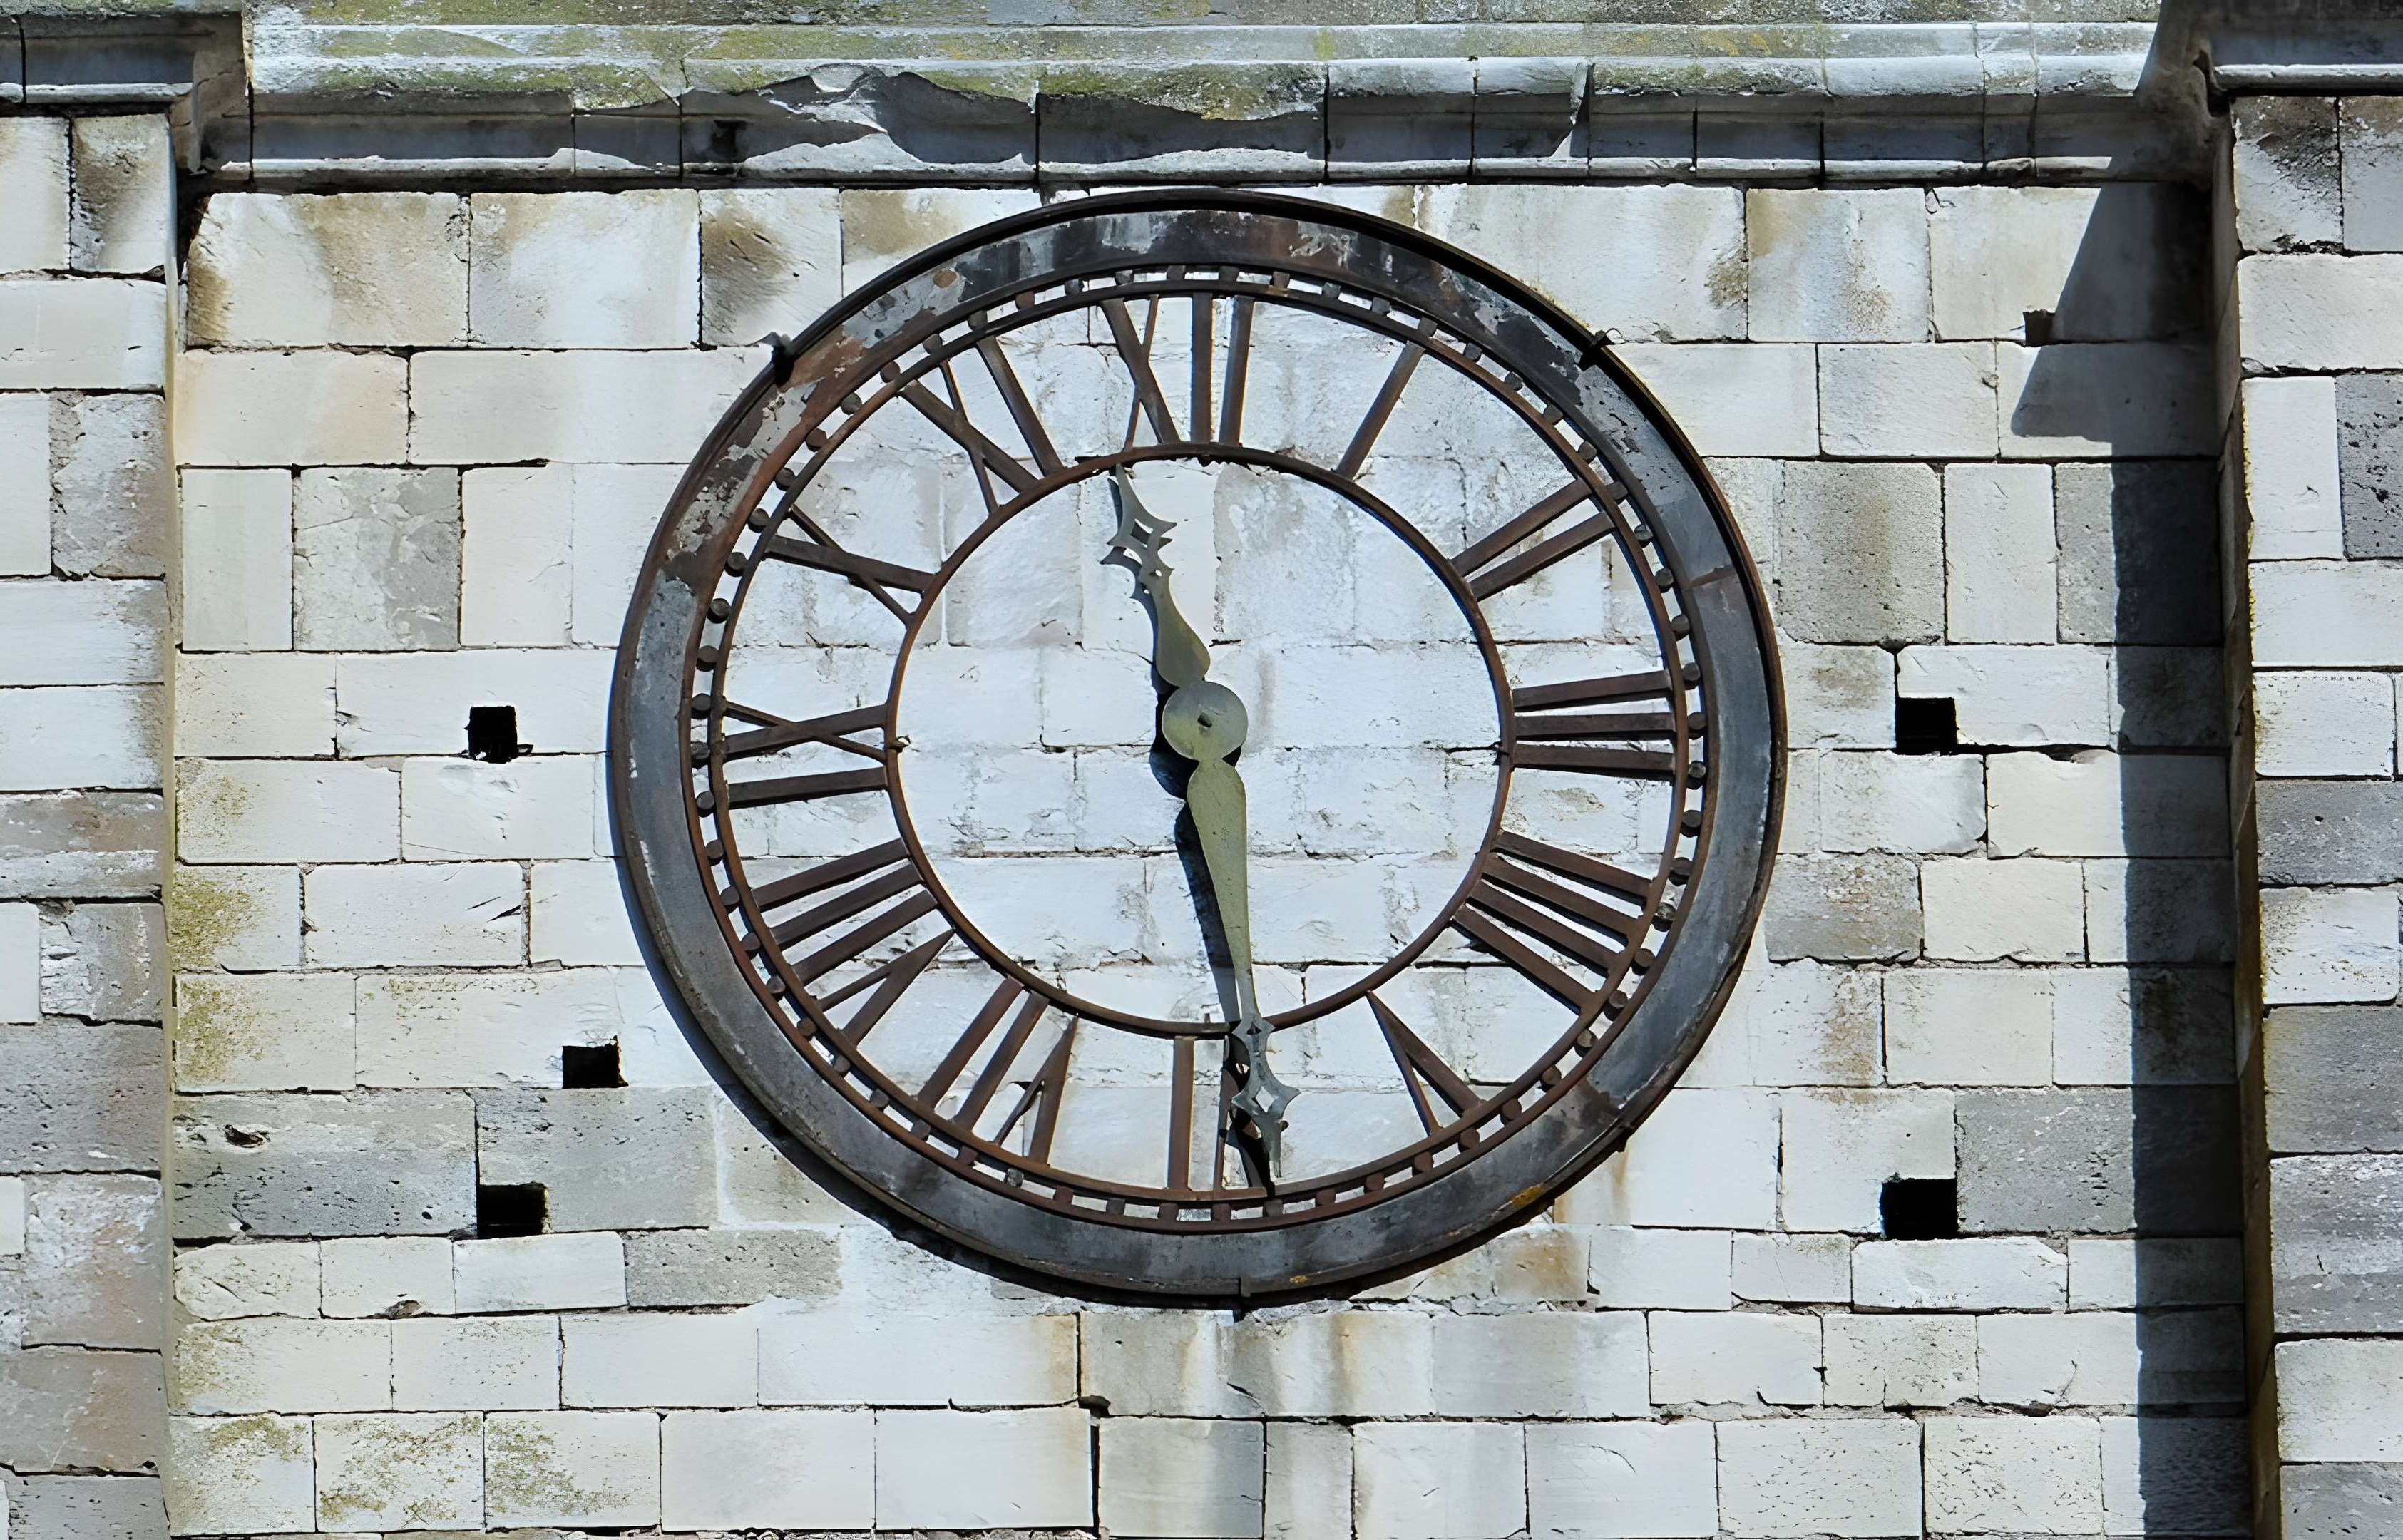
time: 11:28
